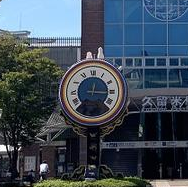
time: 12:15
